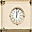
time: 12:03
